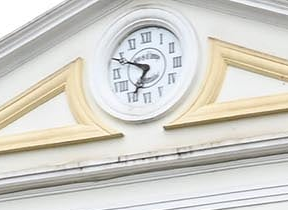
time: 6:49
